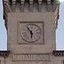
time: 5:54
